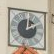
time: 2:01
